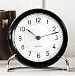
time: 10:12
